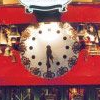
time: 5:30
